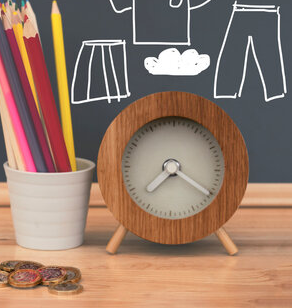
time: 7:20
